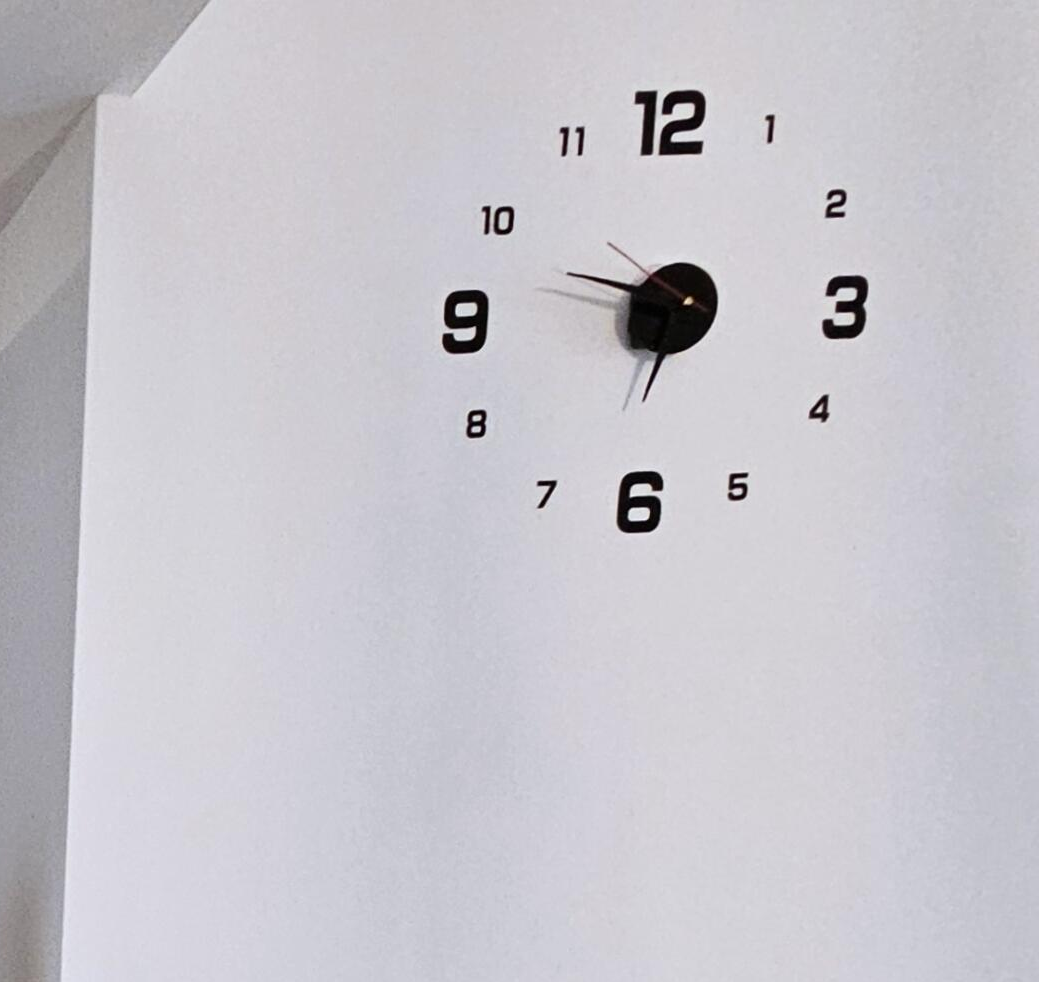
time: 9:48
